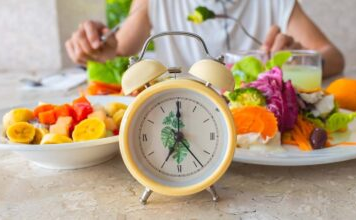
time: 7:00
